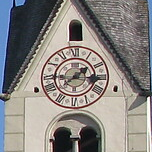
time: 1:38
